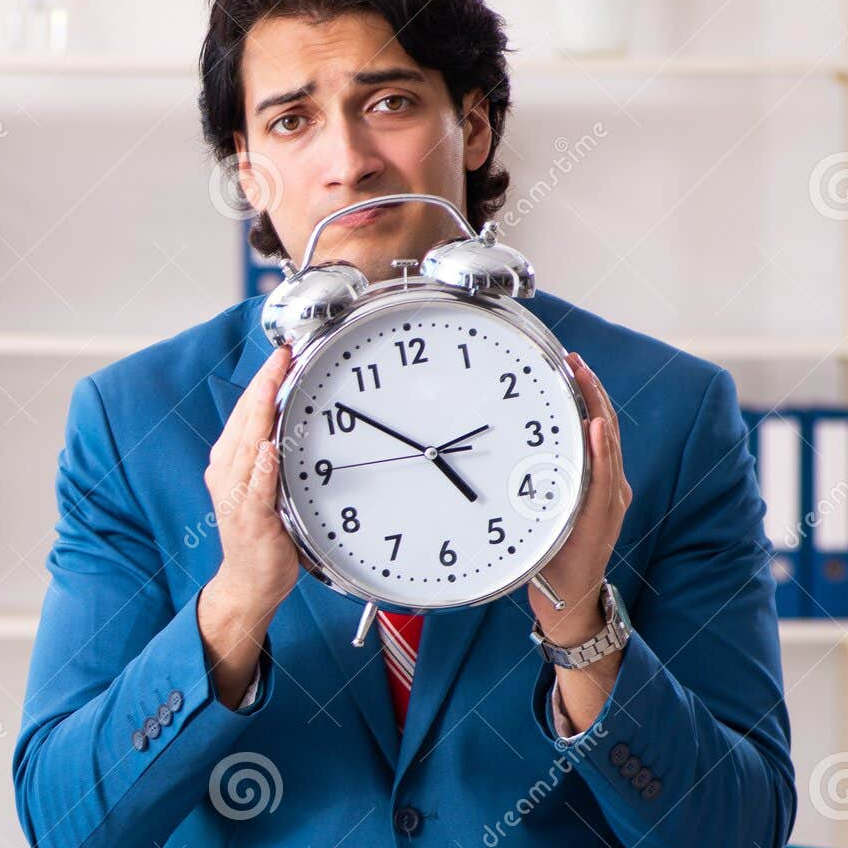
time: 4:51
